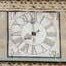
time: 7:59
